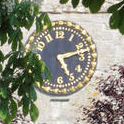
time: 5:12
